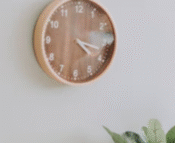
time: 4:17
